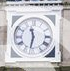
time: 11:32
